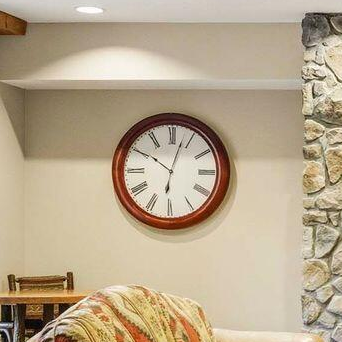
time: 10:02
